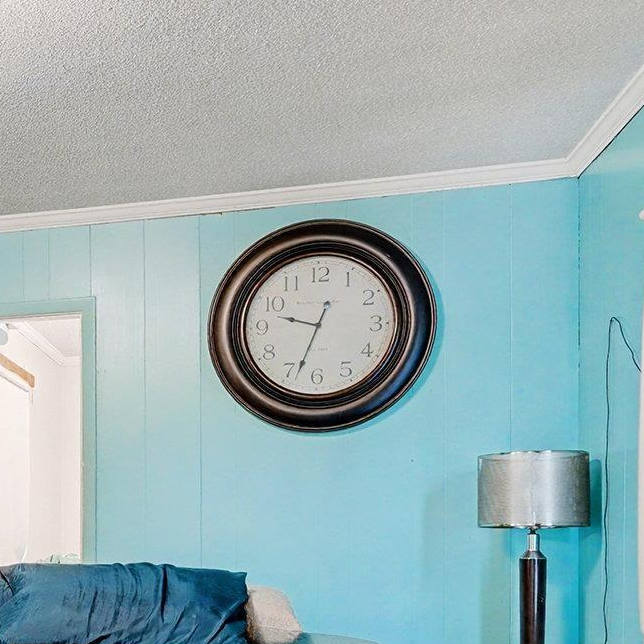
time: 9:33
